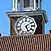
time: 5:09
